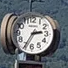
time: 2:35
